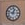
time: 12:47
